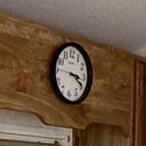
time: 3:19
